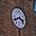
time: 3:40
